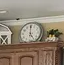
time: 4:59
